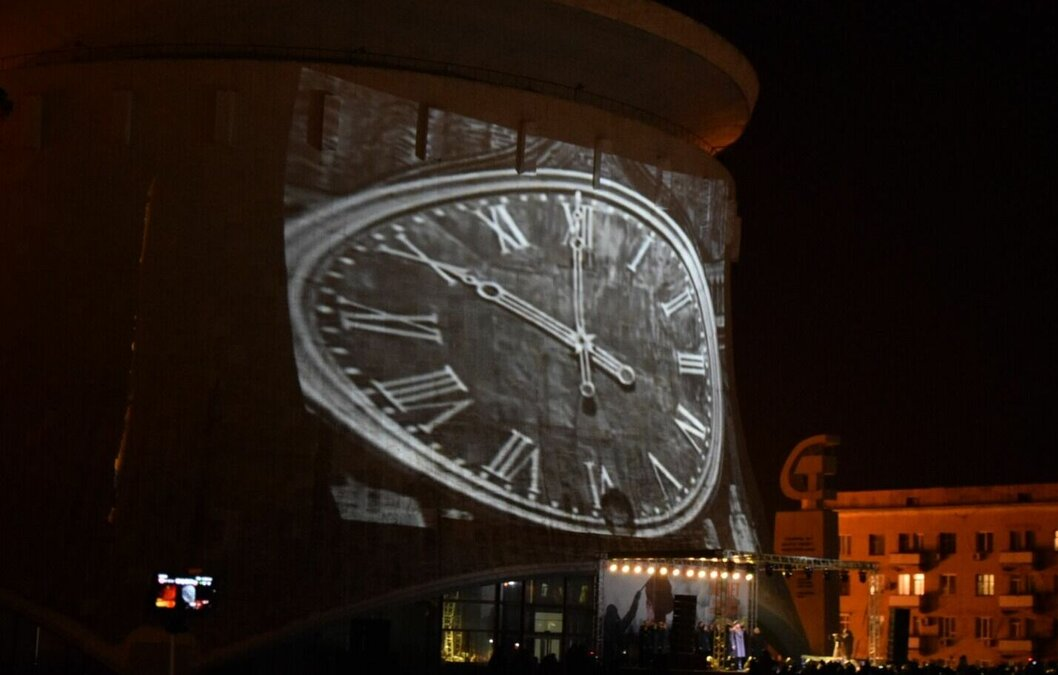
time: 3:49
